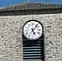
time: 5:06
